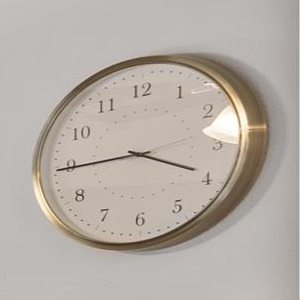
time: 3:44
